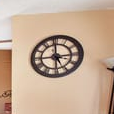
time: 5:14
